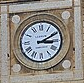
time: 3:10
